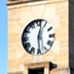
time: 12:29
